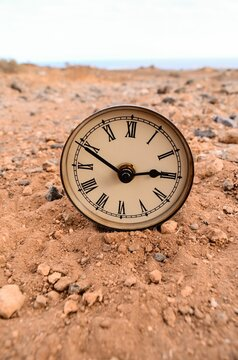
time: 2:49
